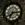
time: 7:15
